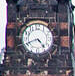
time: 4:41
